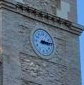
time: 3:14
